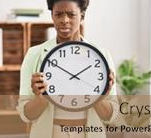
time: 1:50
